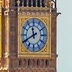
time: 11:40
